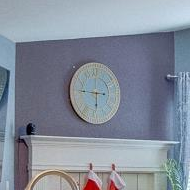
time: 5:45
